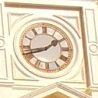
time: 1:42
